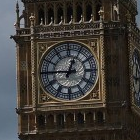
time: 12:45
